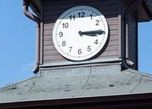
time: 3:14
